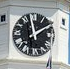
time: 1:58
